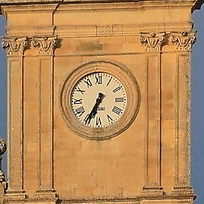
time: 6:34
